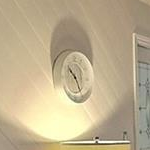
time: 10:25
